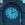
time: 2:01
